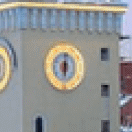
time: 6:00
